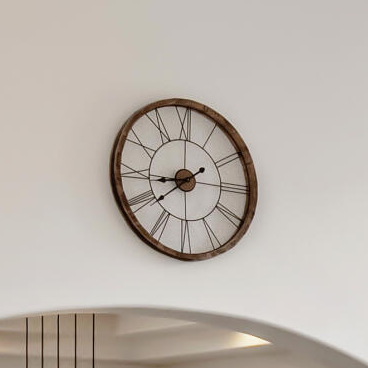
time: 8:38
